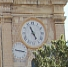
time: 4:56
